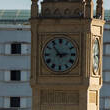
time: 2:53
